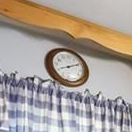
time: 8:10
